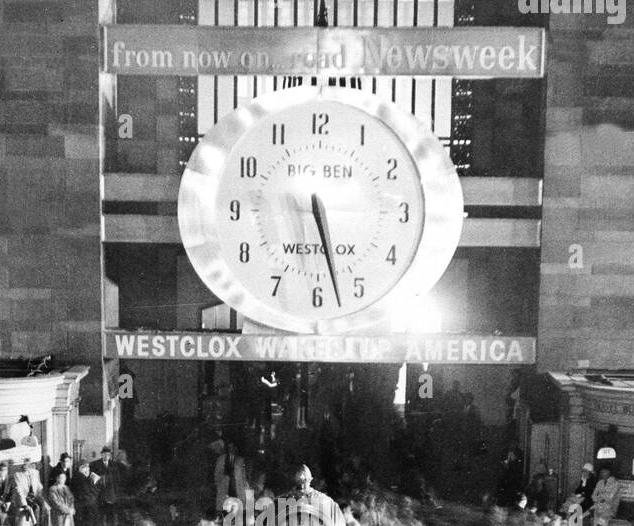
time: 5:27
